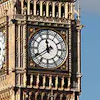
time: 11:39
